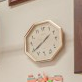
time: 1:39
